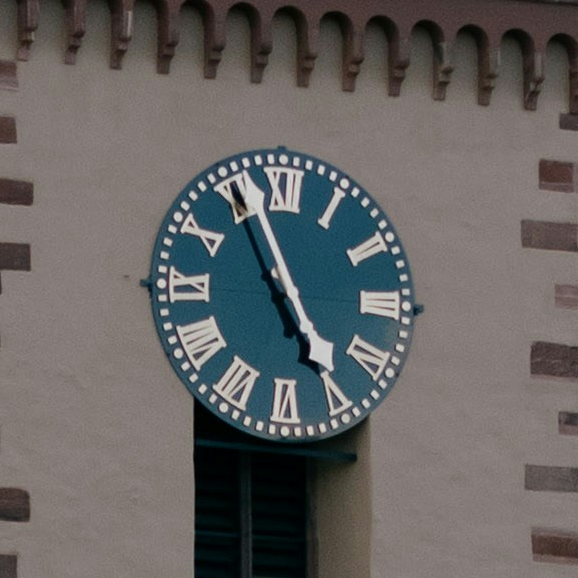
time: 4:56
